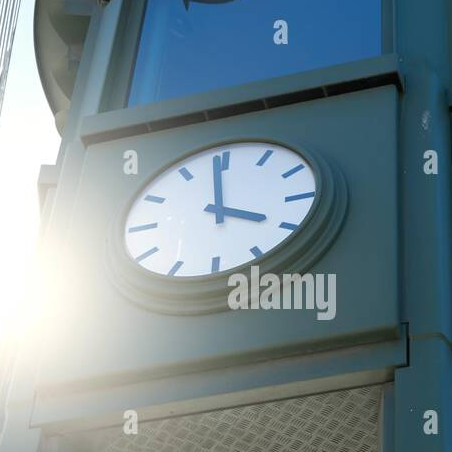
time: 3:58
